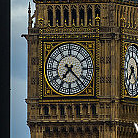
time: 7:22
